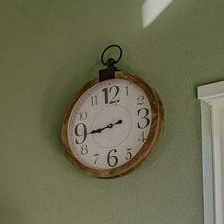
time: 8:43
